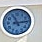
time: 11:13
